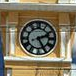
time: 2:25
